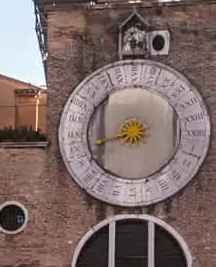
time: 8:42
